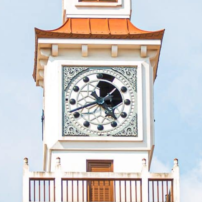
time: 4:41
